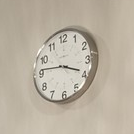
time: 3:46
